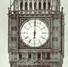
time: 6:00
